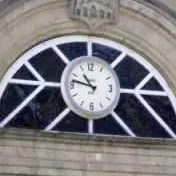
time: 10:47
